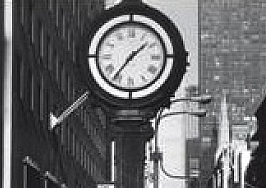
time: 1:36
